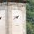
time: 8:40
